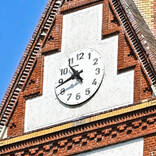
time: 10:43
